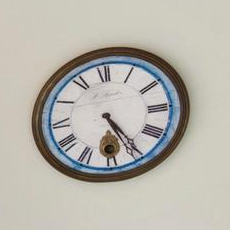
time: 5:24
